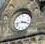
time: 3:43
